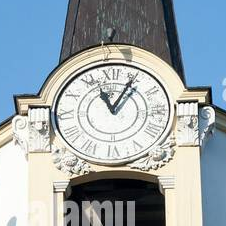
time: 11:05
